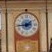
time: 1:43
